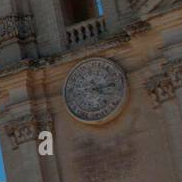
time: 4:12
